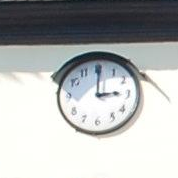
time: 3:00
